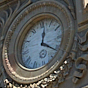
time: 12:20
